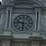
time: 9:31
